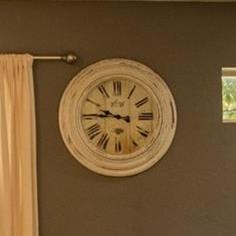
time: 9:45
